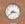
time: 3:39
